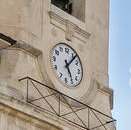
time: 5:06
